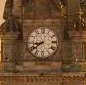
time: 8:39
